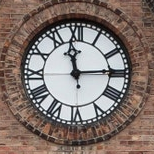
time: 2:58
